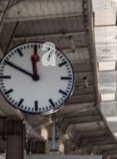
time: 11:49
